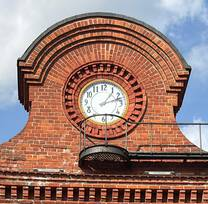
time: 1:11
